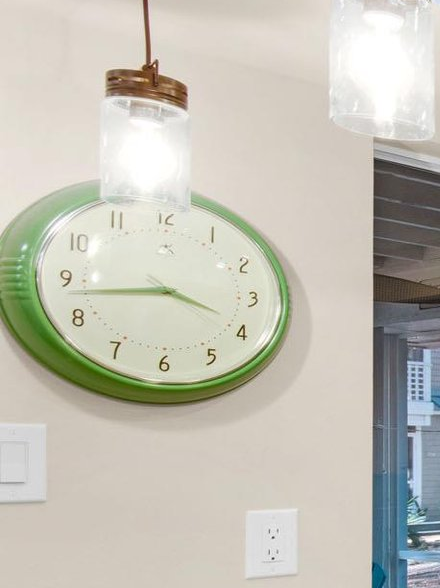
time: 3:43
